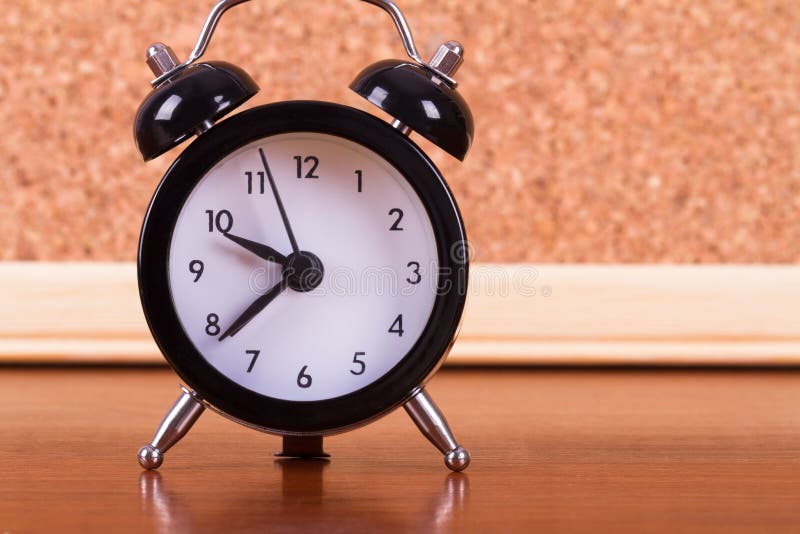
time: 9:38
